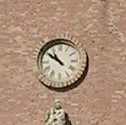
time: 10:51
